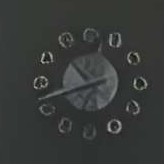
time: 10:42
